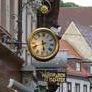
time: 5:41
